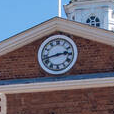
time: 2:42
